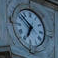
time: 6:52
